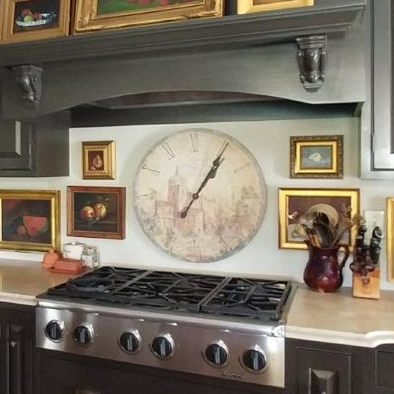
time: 1:05
